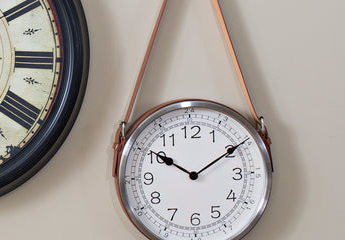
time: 10:09
